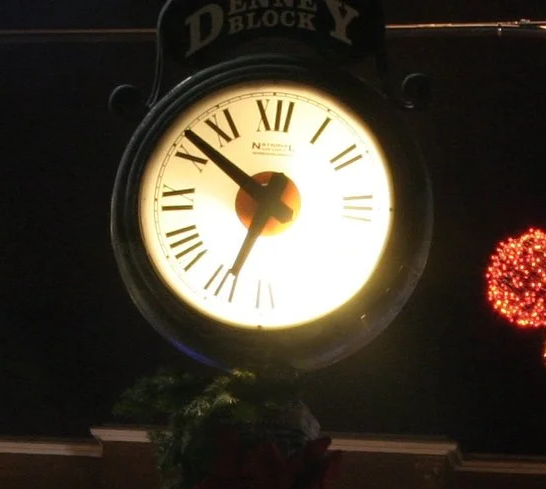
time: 6:51
